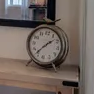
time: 1:36
